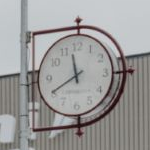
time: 11:40
